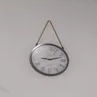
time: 9:12
